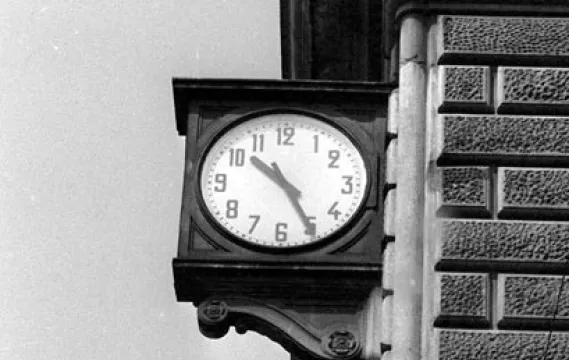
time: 10:25
